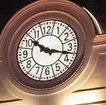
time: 10:17
